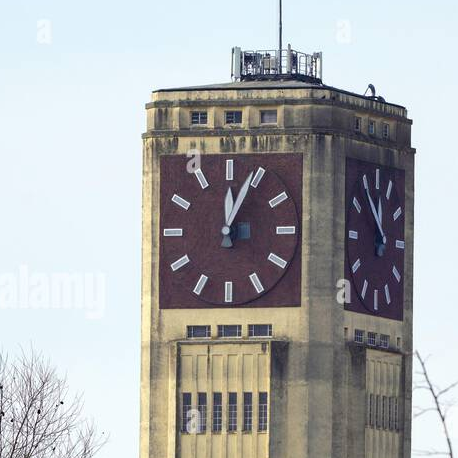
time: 12:04
